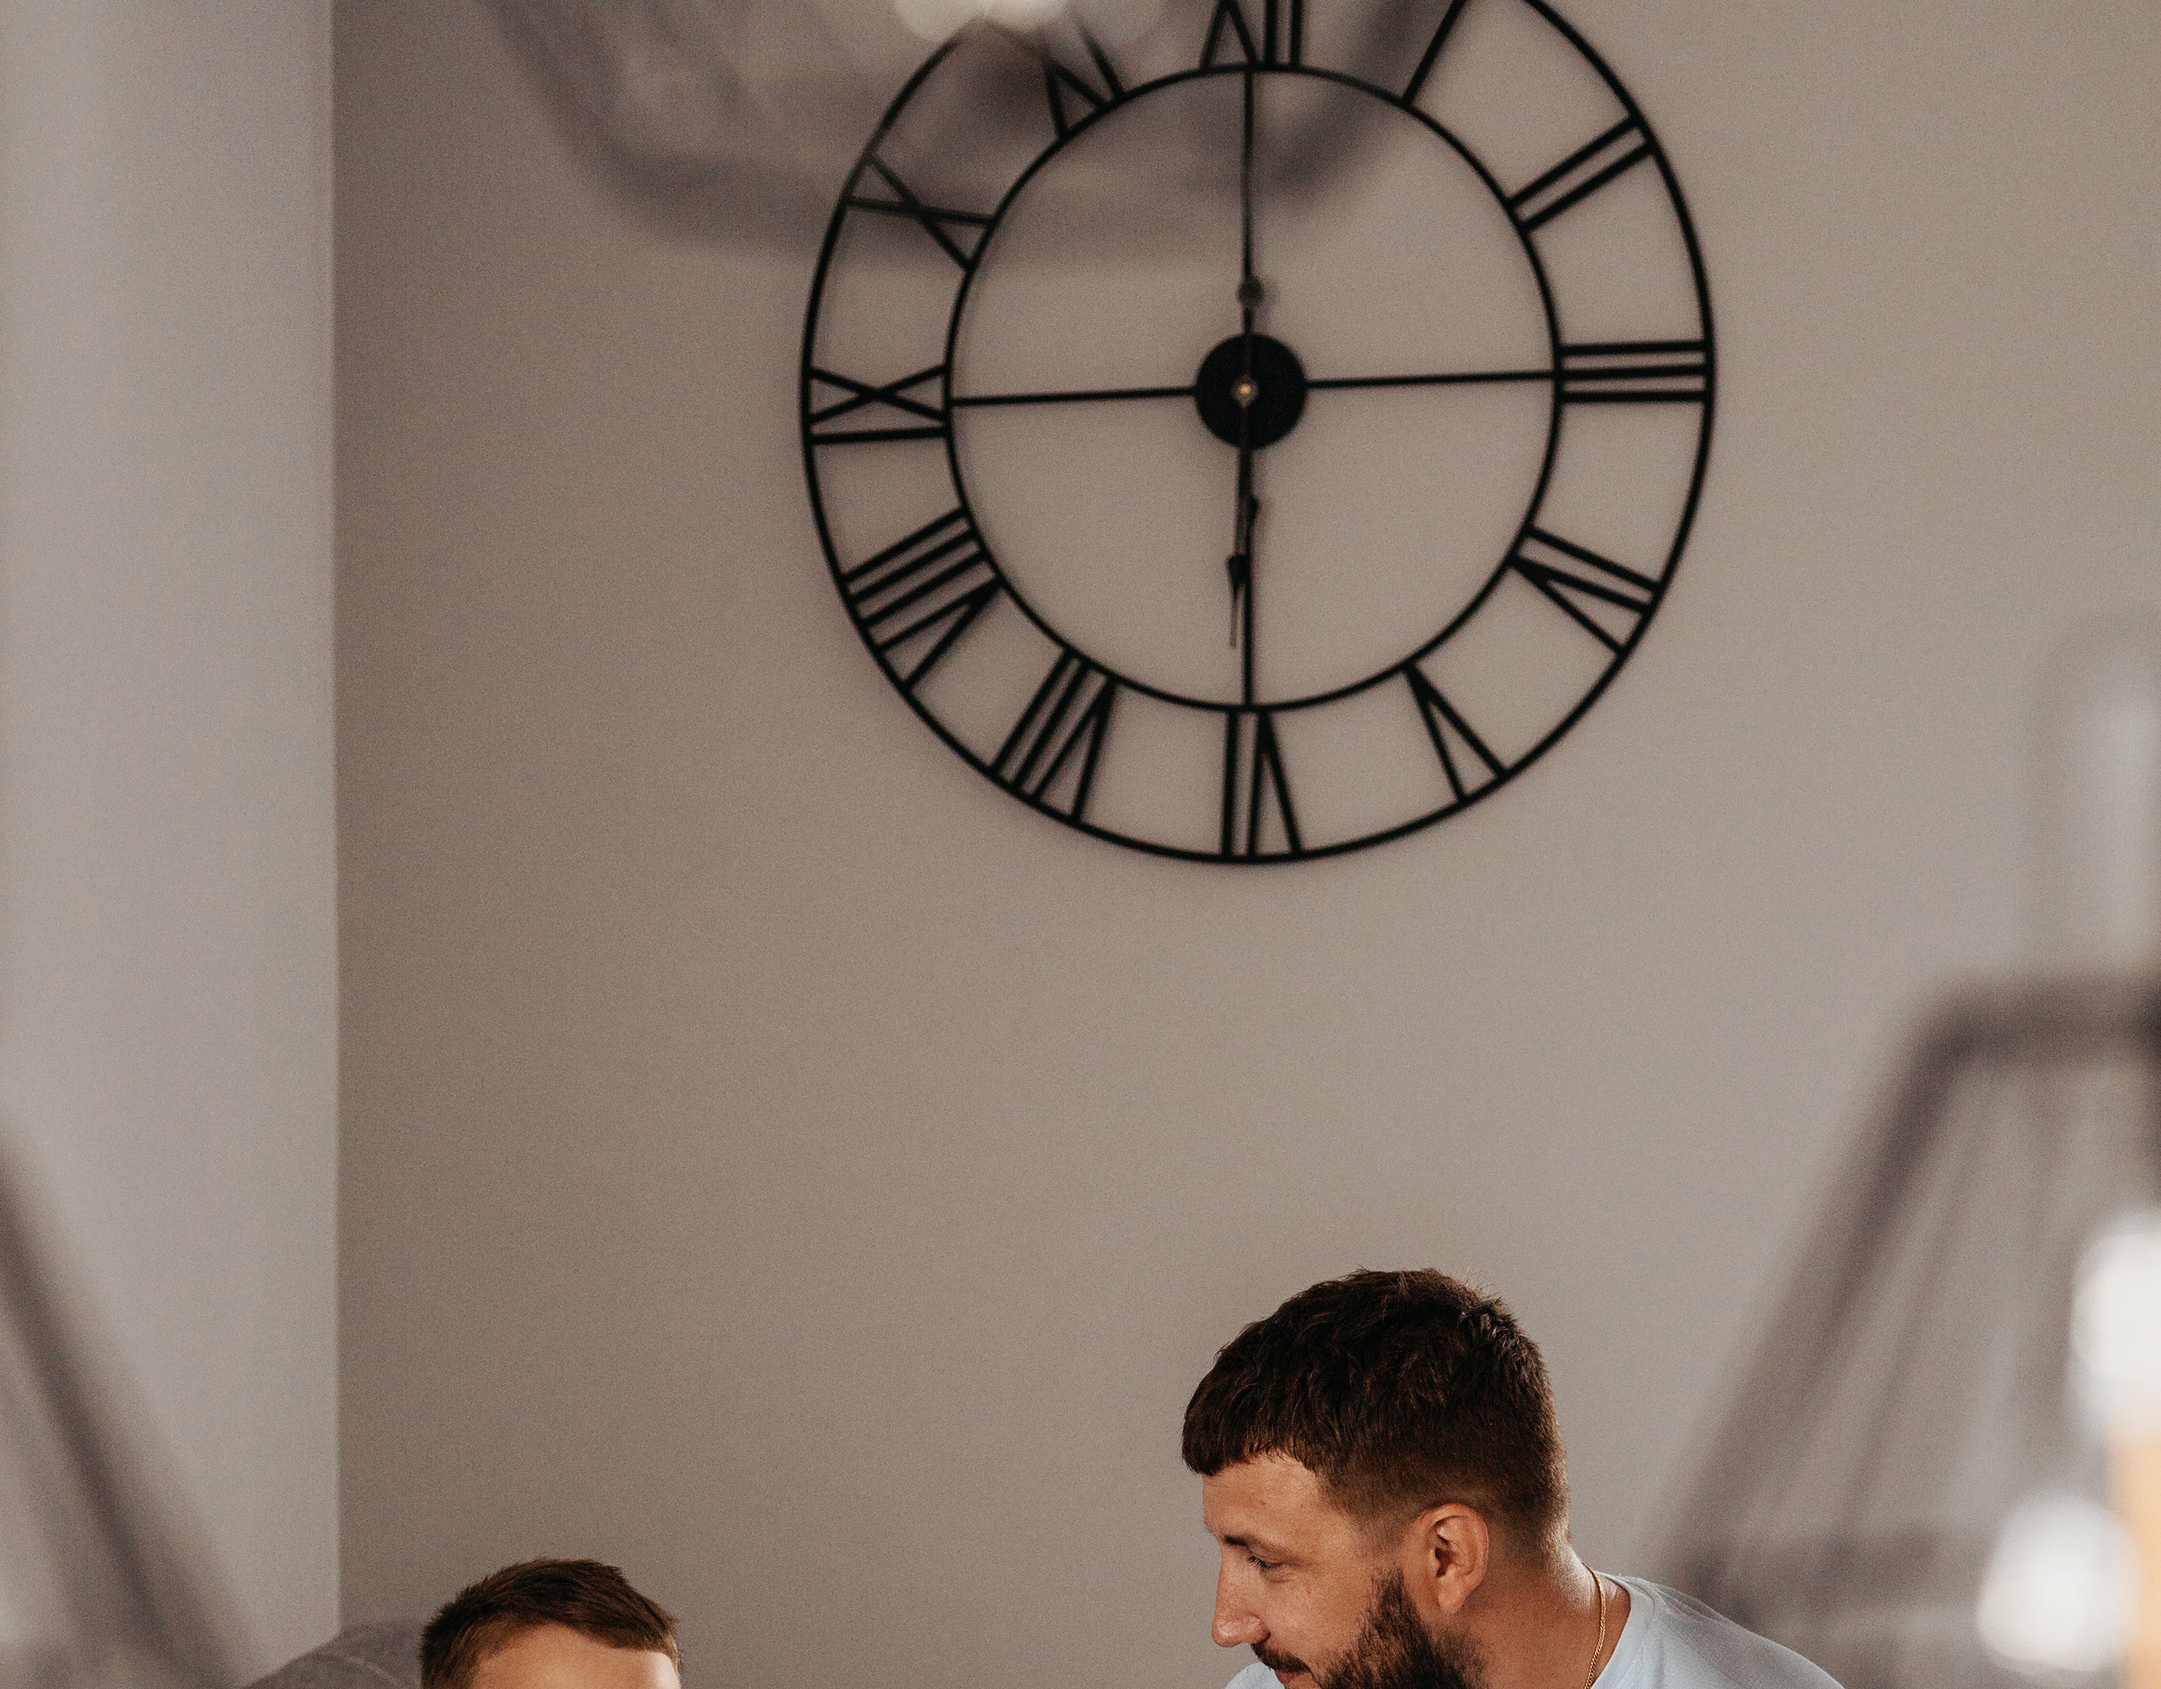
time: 5:59
